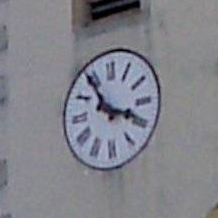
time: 3:54
